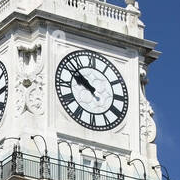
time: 9:51
